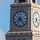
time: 7:23
